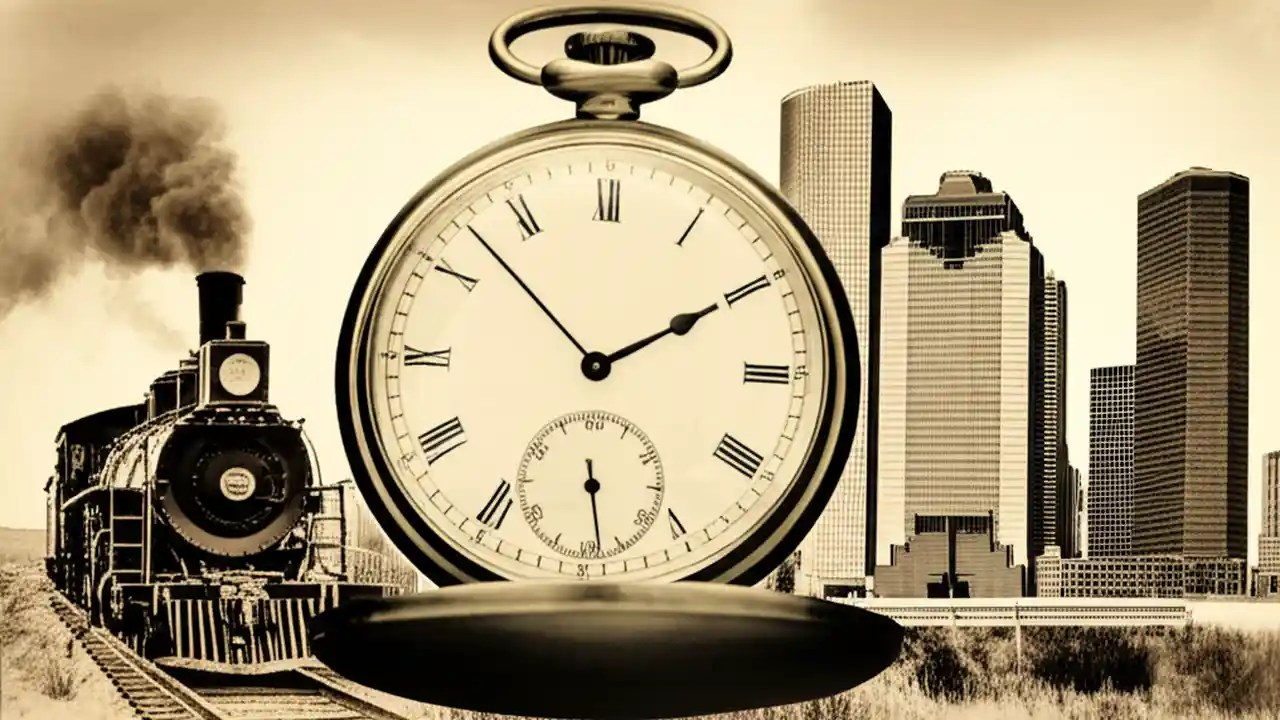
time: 1:52
